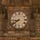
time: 8:39
